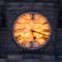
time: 5:18
